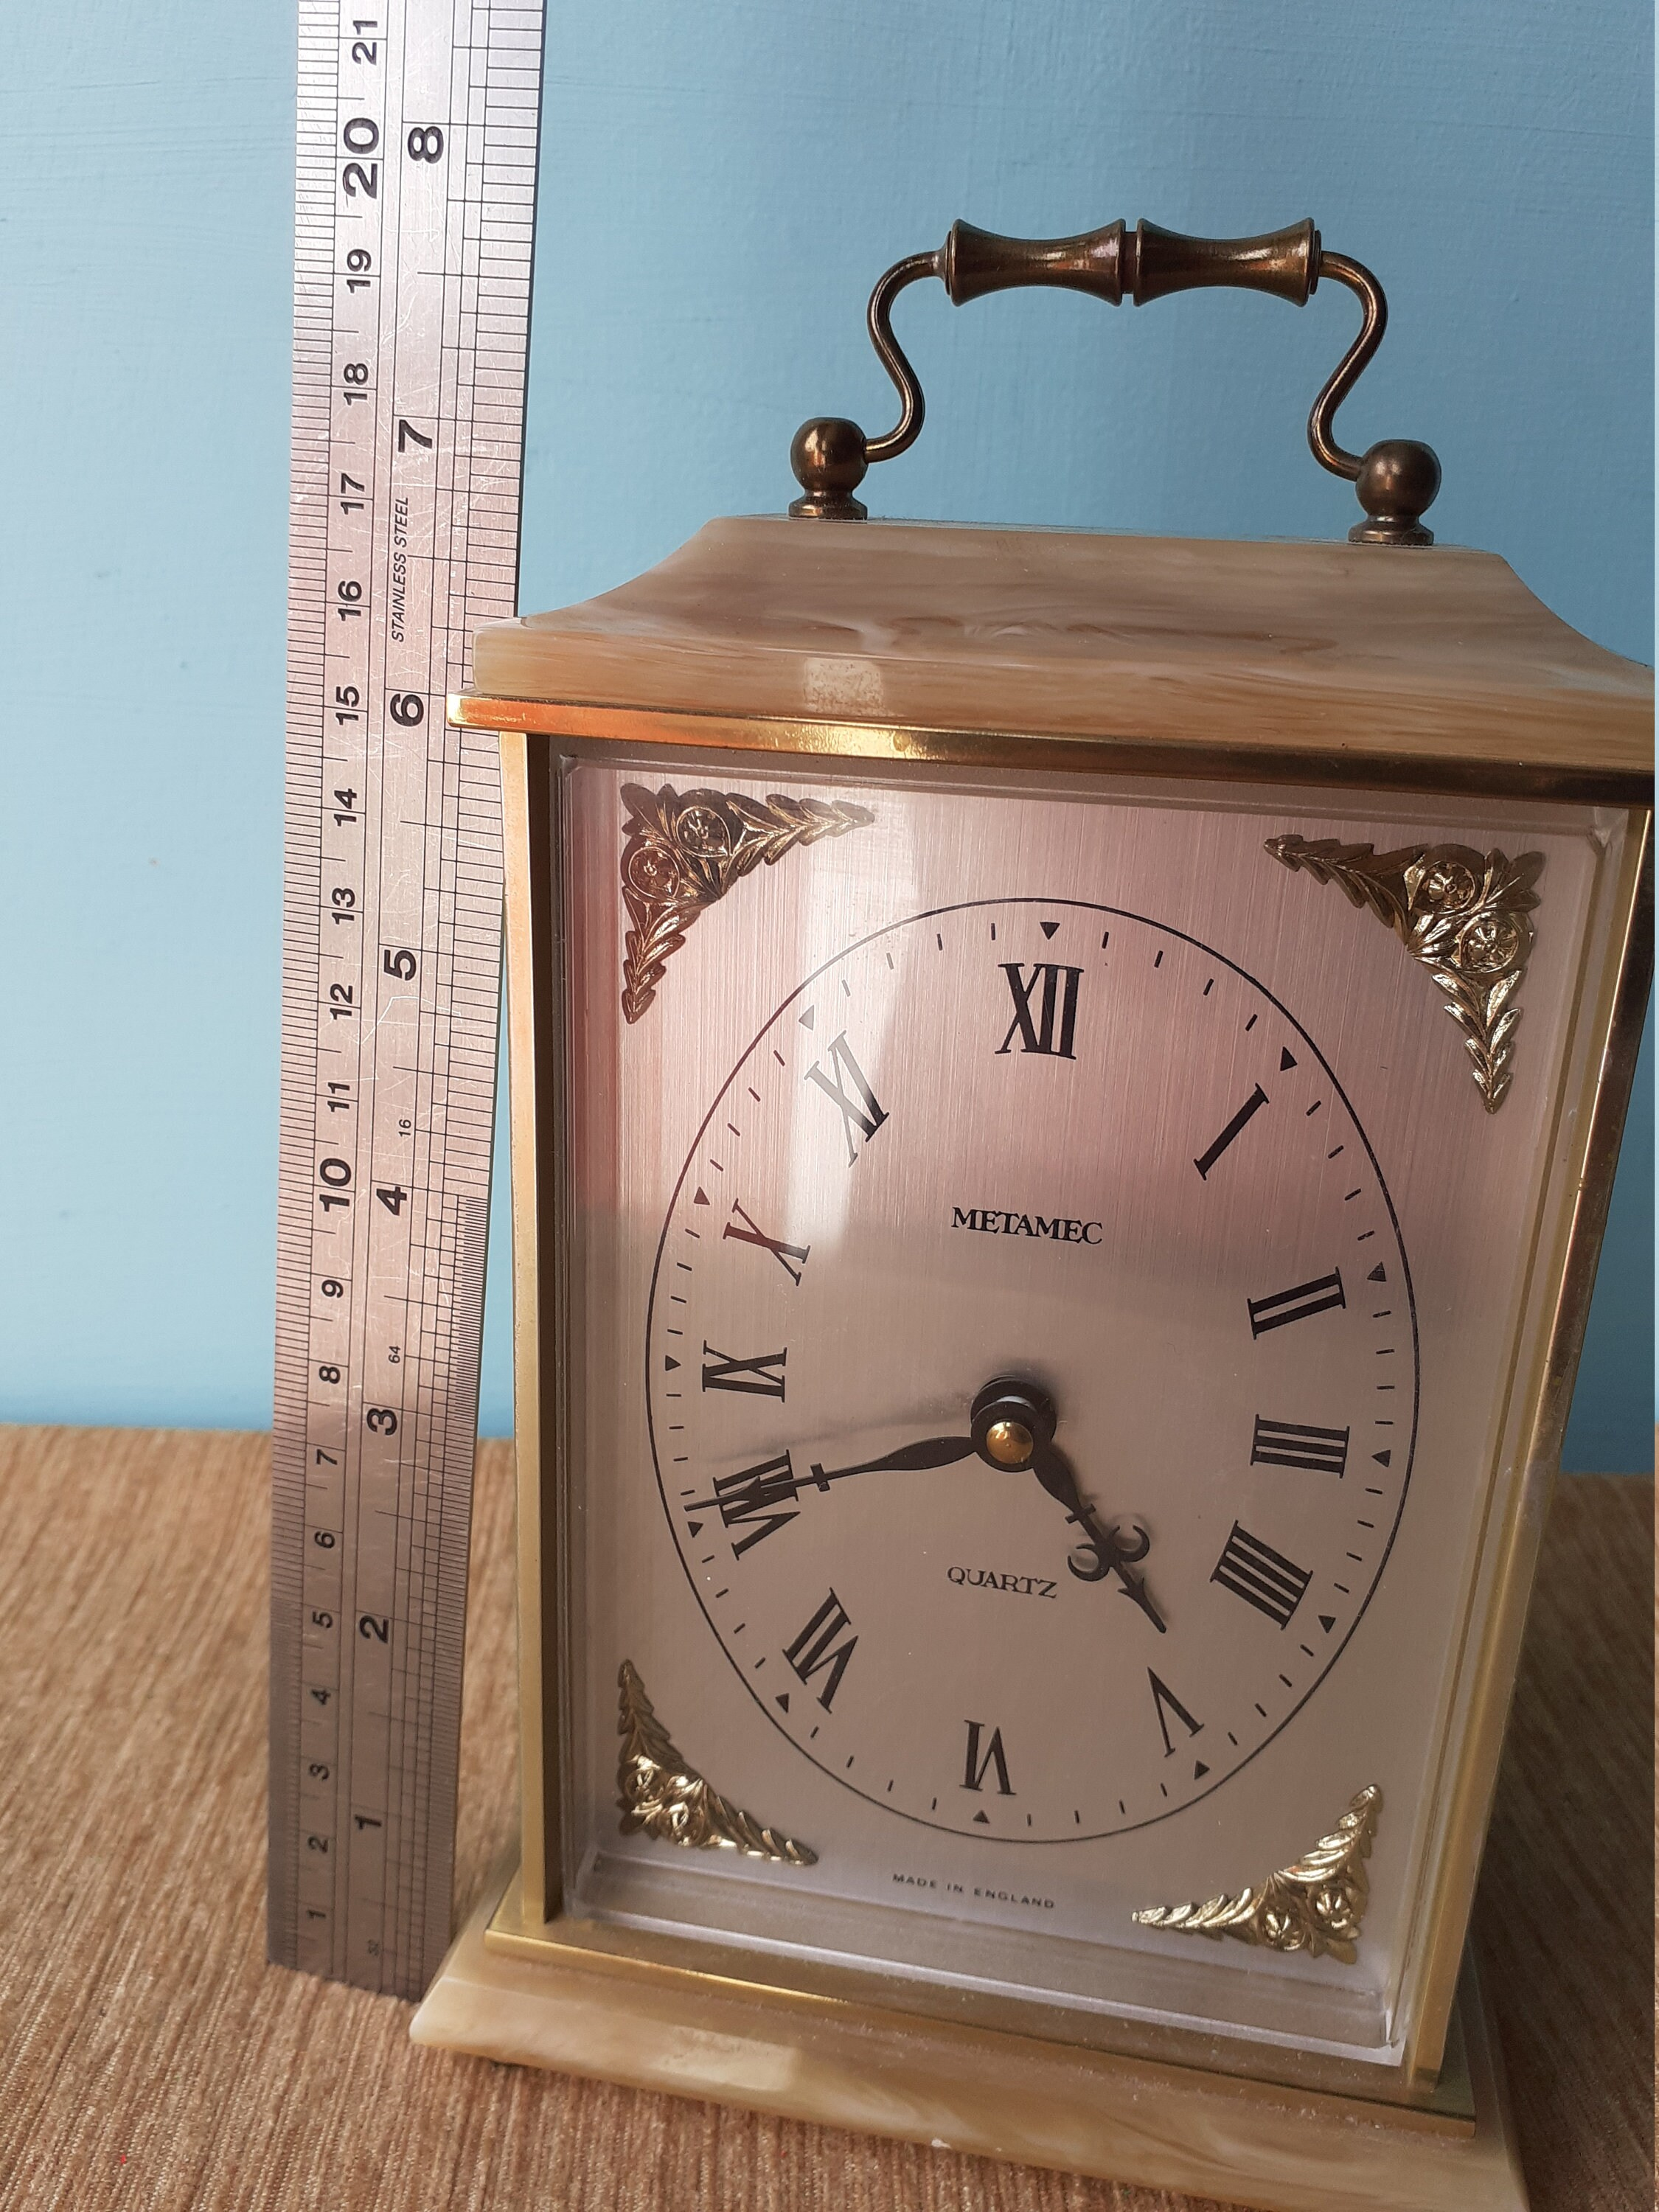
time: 3:40
